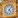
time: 5:06
